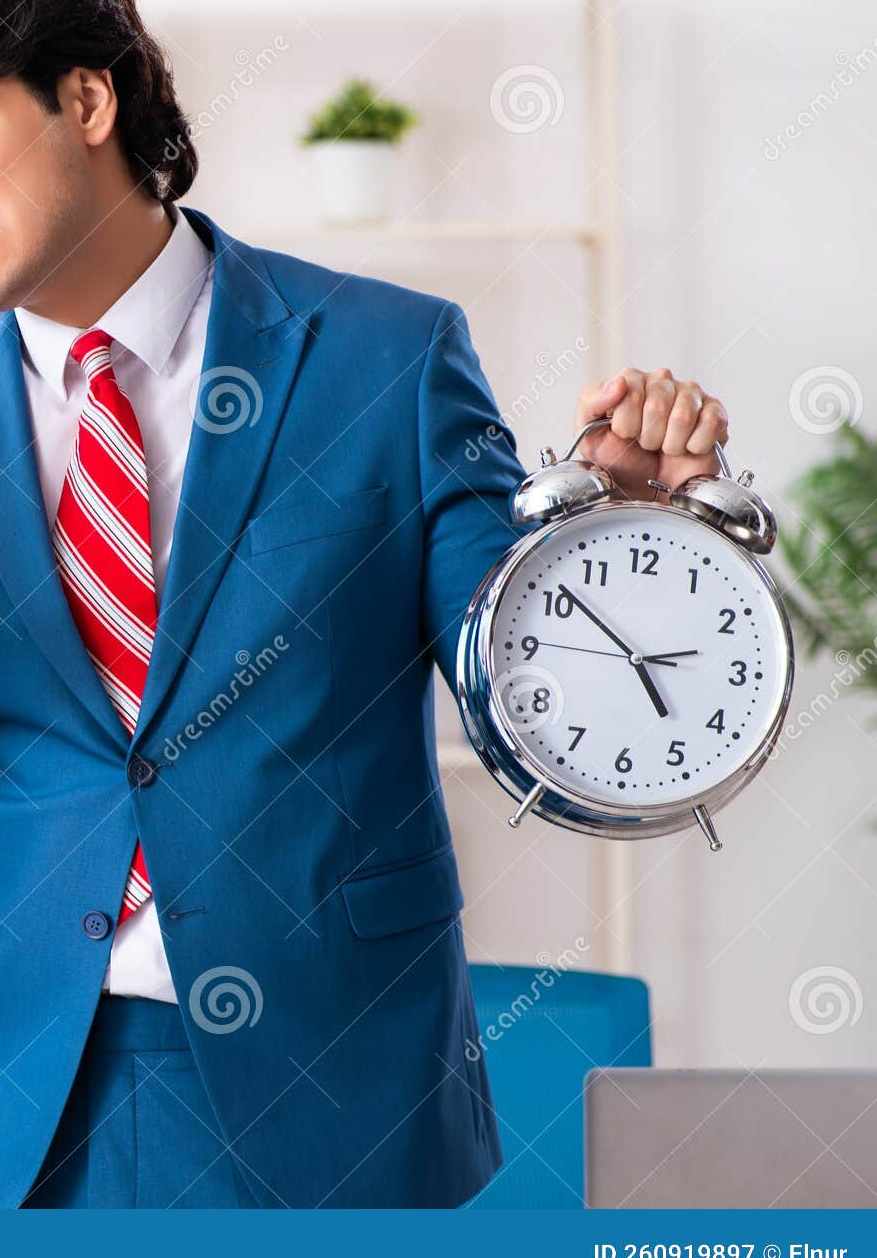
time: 4:51
